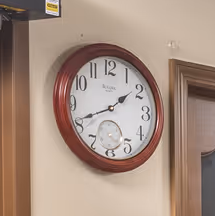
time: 1:41
